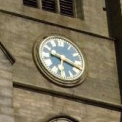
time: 9:18
